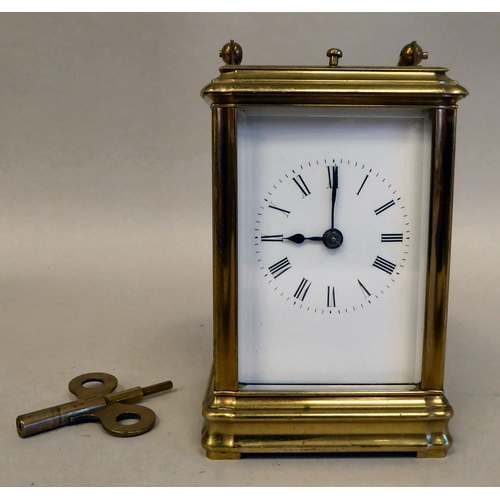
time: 9:00
